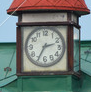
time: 2:34
